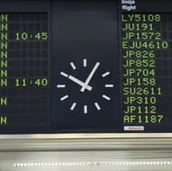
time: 10:05
